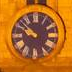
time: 9:51
